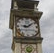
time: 9:09
